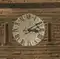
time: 3:09
